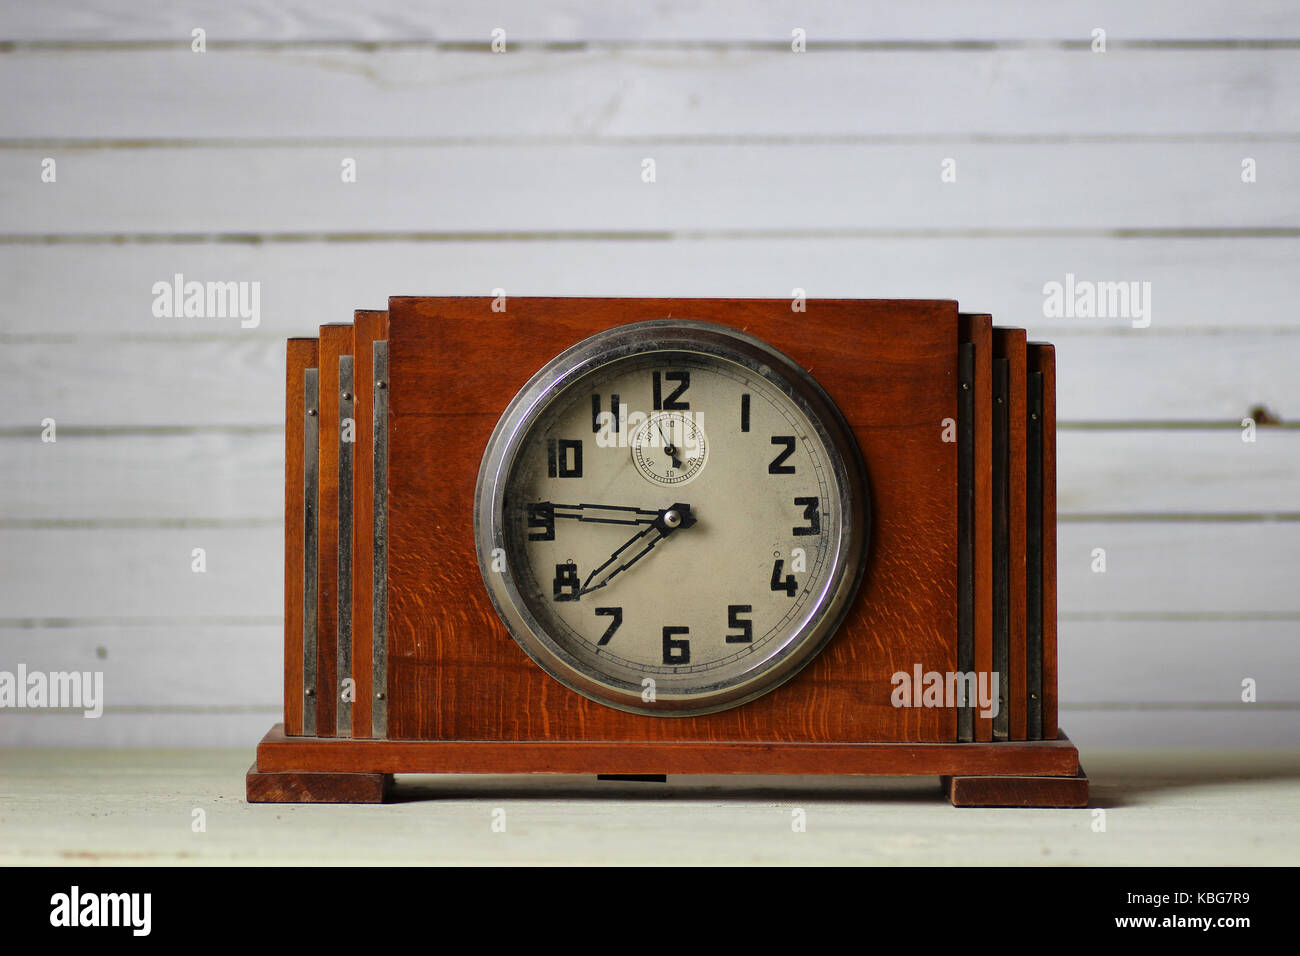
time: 7:45
